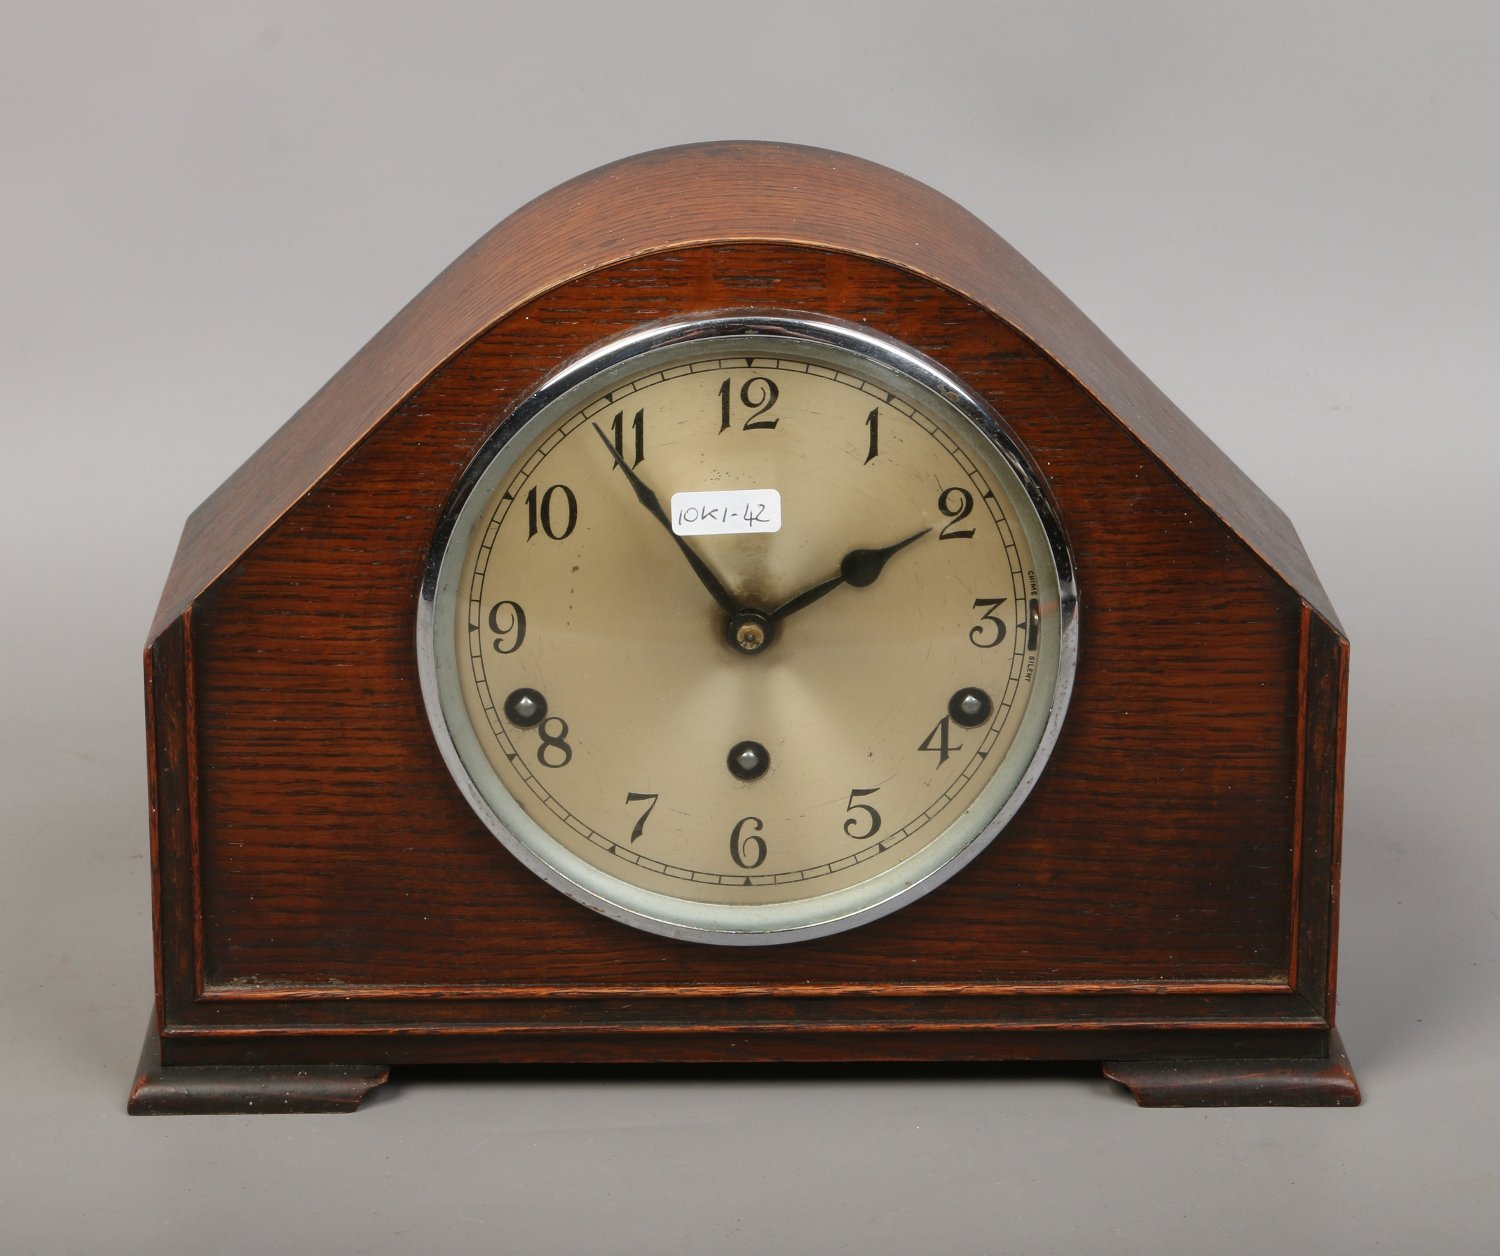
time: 1:54
